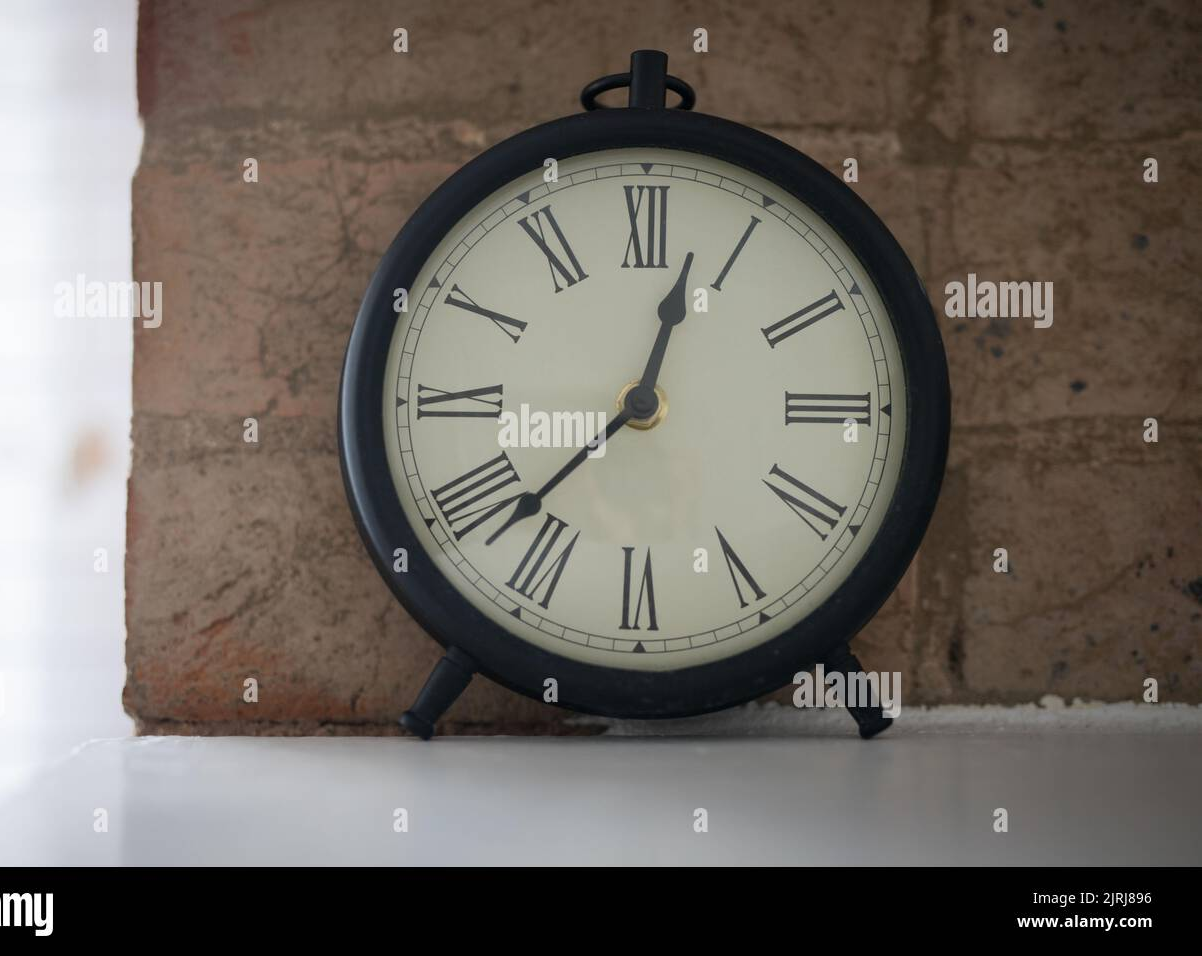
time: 12:37
